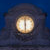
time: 5:59
